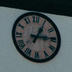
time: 1:14
